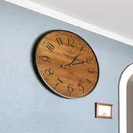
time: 1:10
